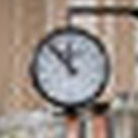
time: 11:52
